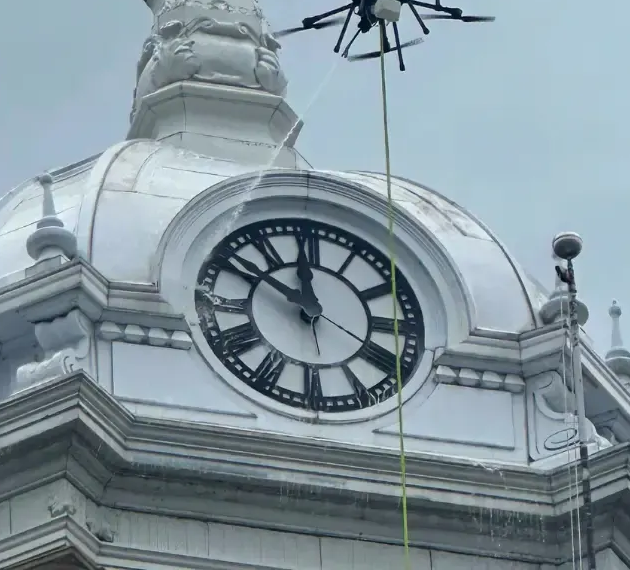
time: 11:50
